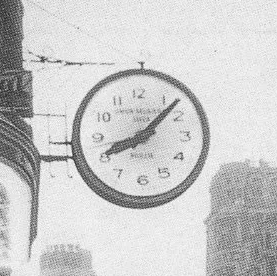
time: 8:07
